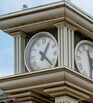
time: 1:22
